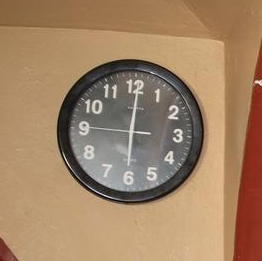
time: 6:00
